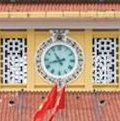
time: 10:42
